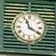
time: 11:19
